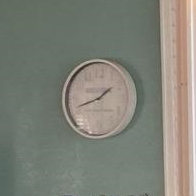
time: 1:42
